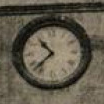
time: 10:37
